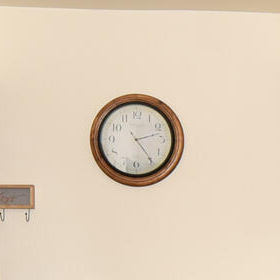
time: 2:24
